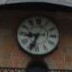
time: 8:33
